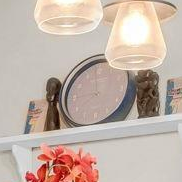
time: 11:44
